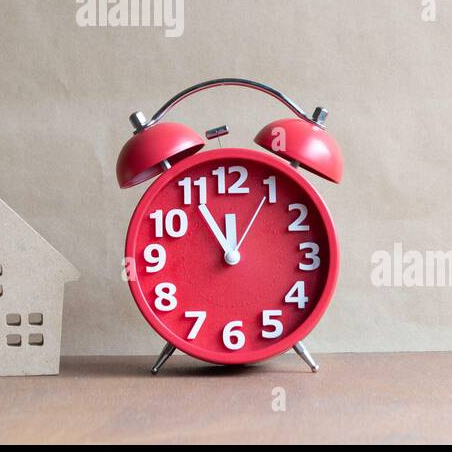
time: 11:54
